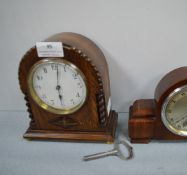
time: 6:01
